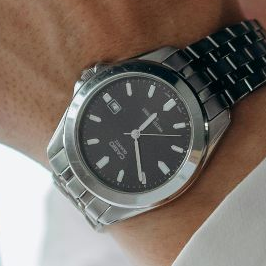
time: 1:30
